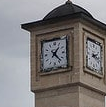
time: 1:22
